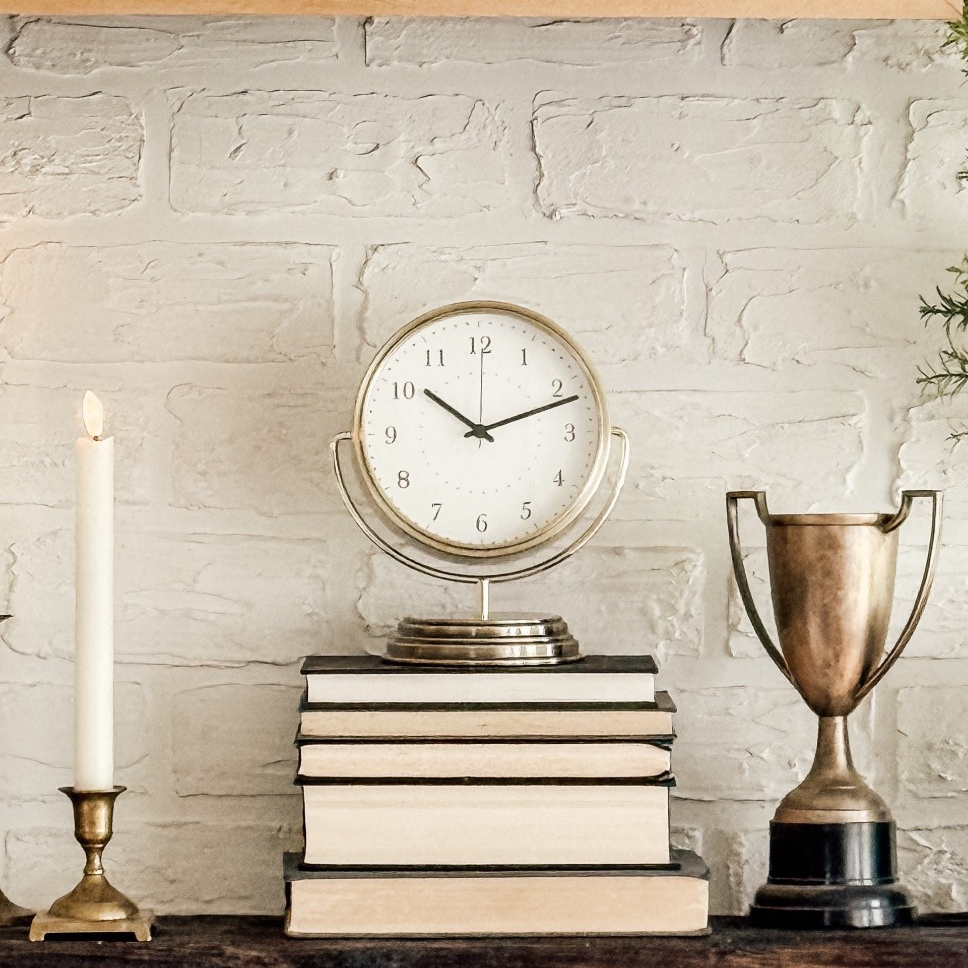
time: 10:11
